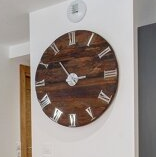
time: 10:44
